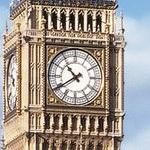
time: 10:39
